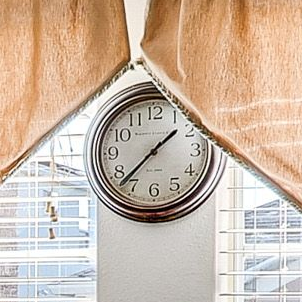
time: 1:37
